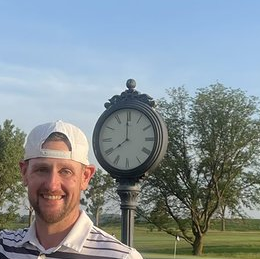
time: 7:59
